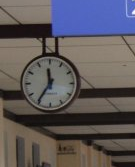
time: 11:35
